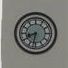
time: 8:32
